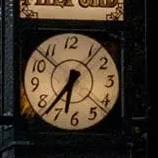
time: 6:37
